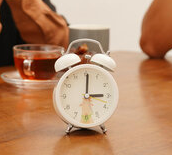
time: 3:00
